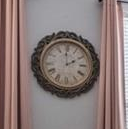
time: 2:00
